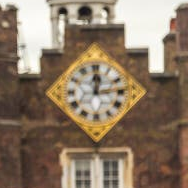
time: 12:13
